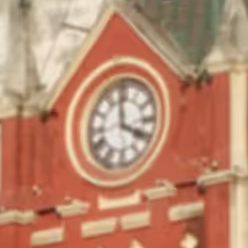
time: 3:58
